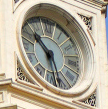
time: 10:28
